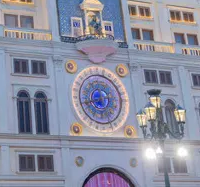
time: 11:42
